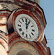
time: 12:04
